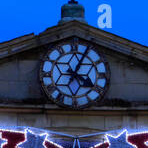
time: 4:04
